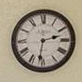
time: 2:31
